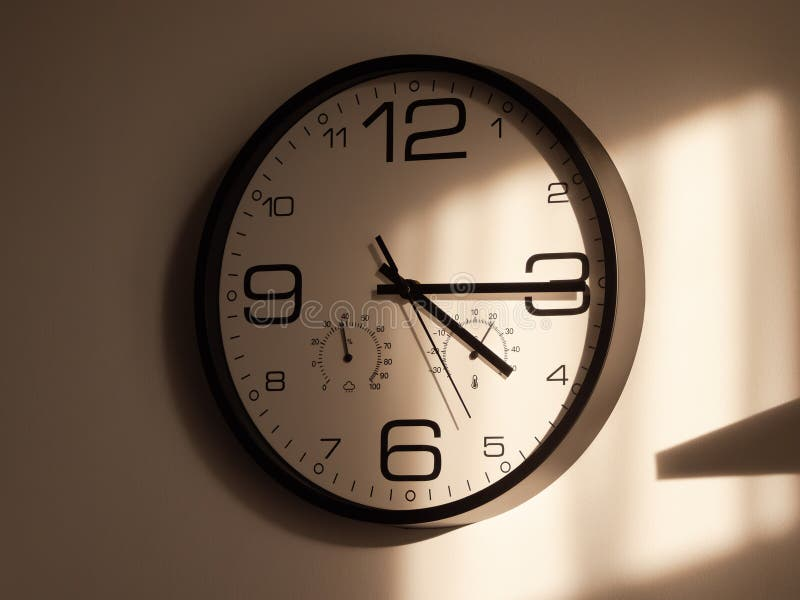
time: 4:14
